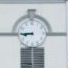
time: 8:45
